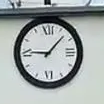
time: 9:07
